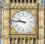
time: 9:45
